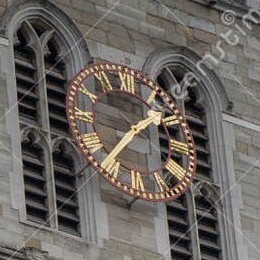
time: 1:36
